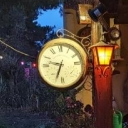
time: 9:33
